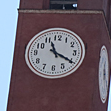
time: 11:19
